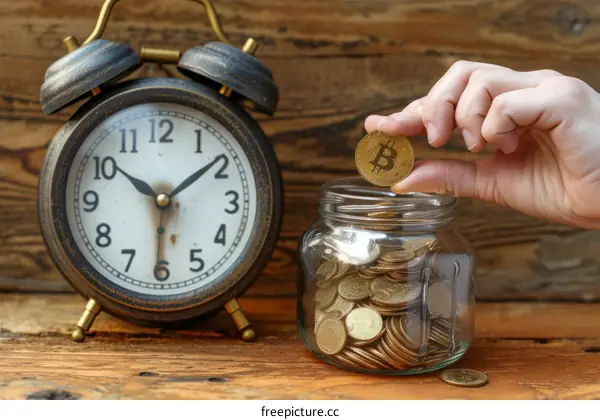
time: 10:08
